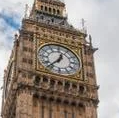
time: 12:37
